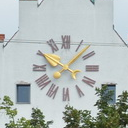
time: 10:07
